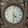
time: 4:30
